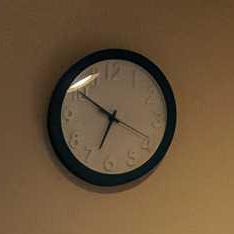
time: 6:50
